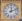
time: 12:11
